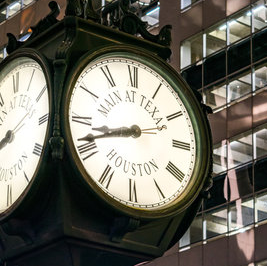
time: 8:41
